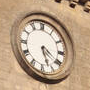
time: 5:20
